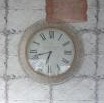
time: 6:42
